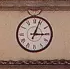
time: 3:03
